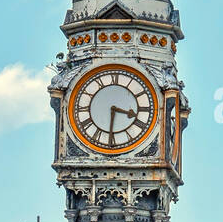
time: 3:30
